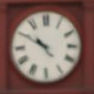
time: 10:50
